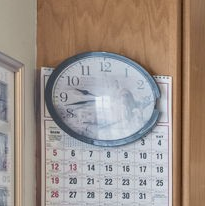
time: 9:42
